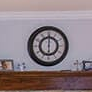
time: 6:00
